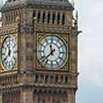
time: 11:37
